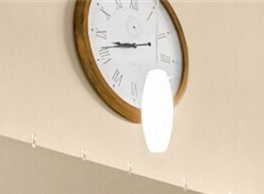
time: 8:42
